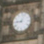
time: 9:03
